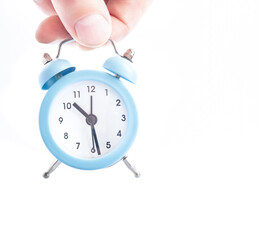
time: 10:28
